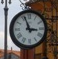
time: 2:56
